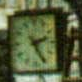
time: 2:25
